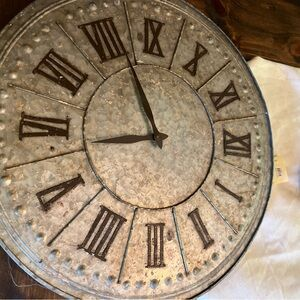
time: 8:56
